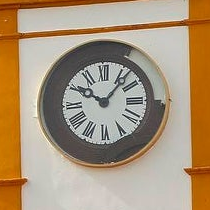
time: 10:06
